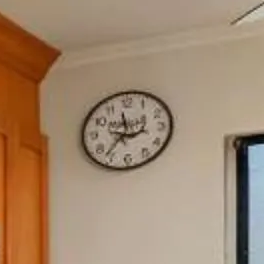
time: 11:36
